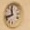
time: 11:42
